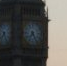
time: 7:24
